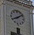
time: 8:09
